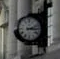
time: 3:12
